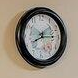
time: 8:14
